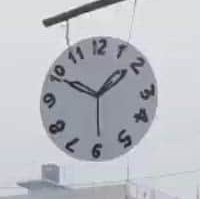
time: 1:49
